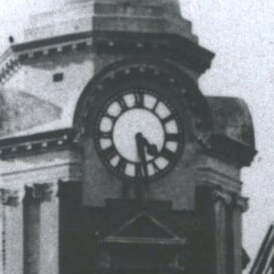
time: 4:28
